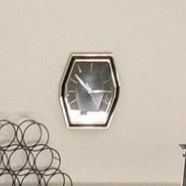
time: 10:14
